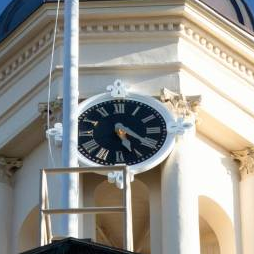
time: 5:20
